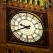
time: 9:41
